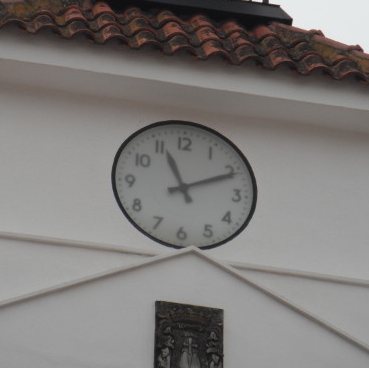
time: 11:10
